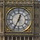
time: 12:34
